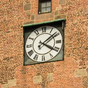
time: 4:08
